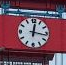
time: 12:16
